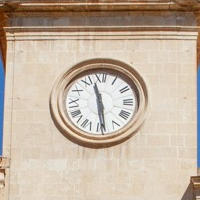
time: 11:28
